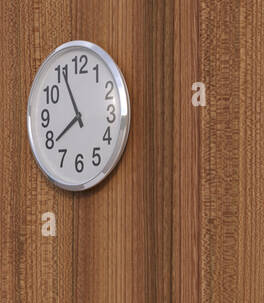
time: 7:55
